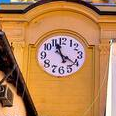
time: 11:20
